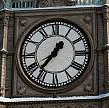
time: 7:36
